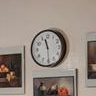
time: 11:29
